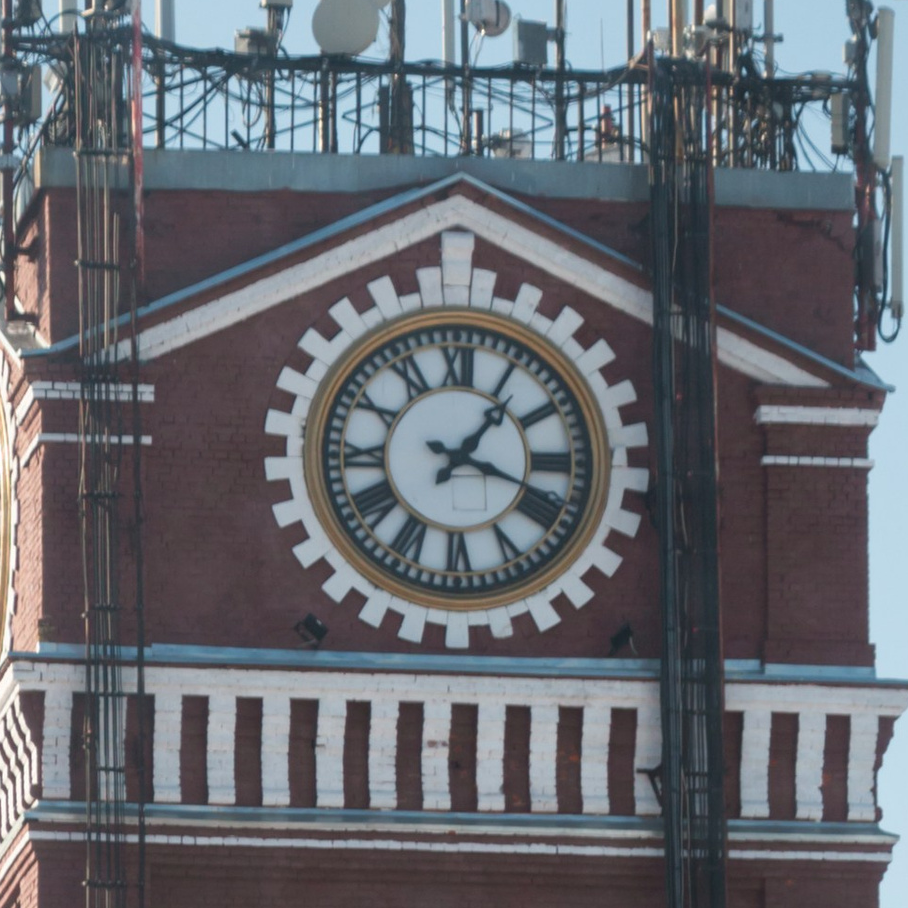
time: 1:18
